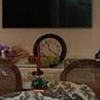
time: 11:19
